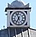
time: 6:56
